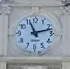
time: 11:12
